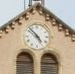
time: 4:52
